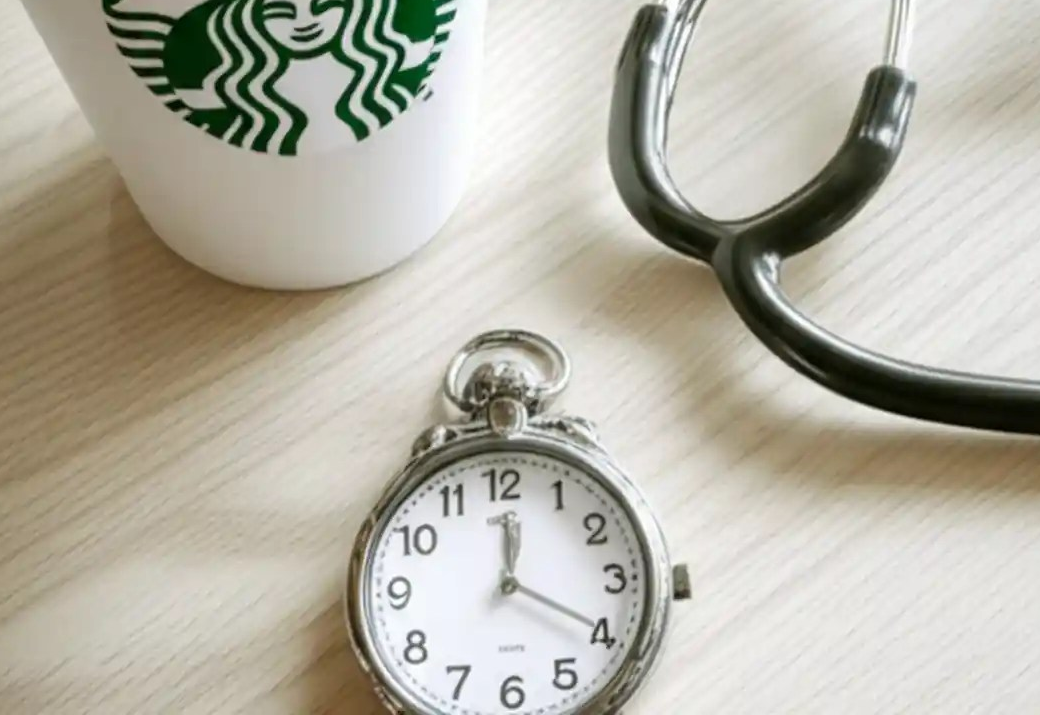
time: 12:19
